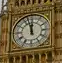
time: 11:57
